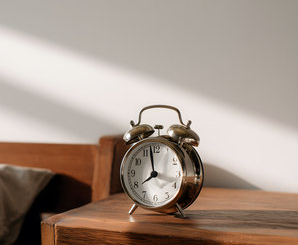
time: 7:58
